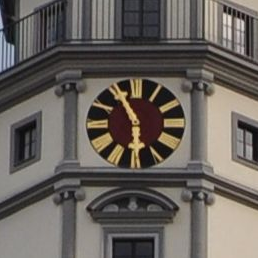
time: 5:55
